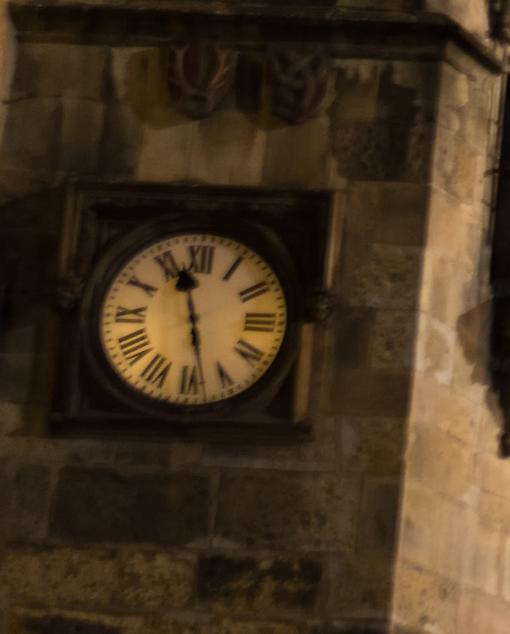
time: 11:28
